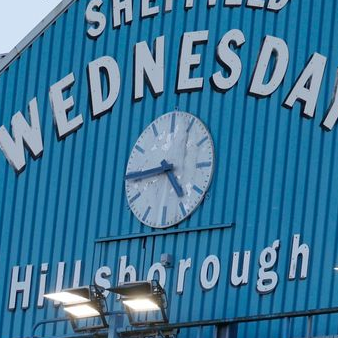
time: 4:44
